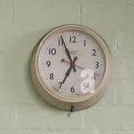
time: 6:55
